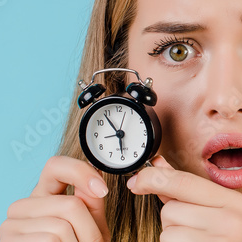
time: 5:54
